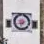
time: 8:33
